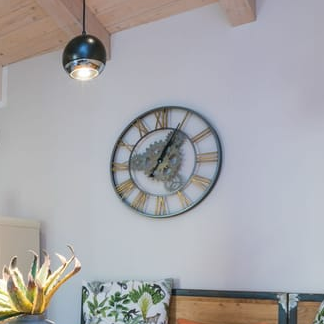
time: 1:04
